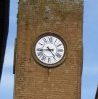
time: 4:43
